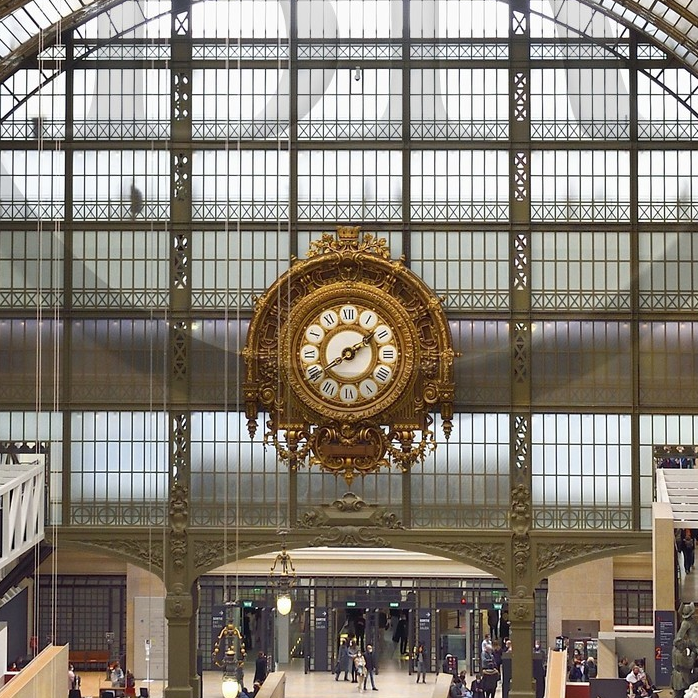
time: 1:40
